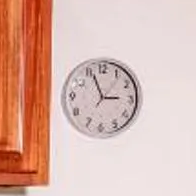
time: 2:56
